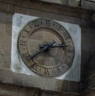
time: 2:38
